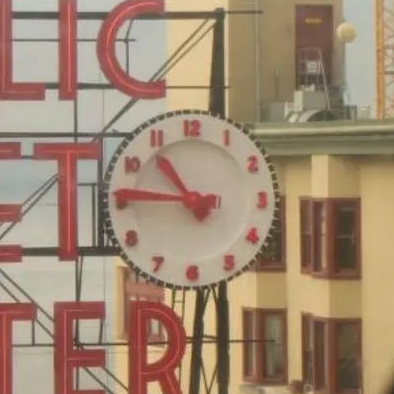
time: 10:45
